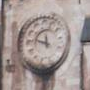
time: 11:46
